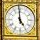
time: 4:59
